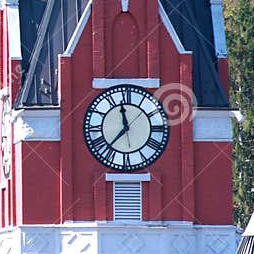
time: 11:36
